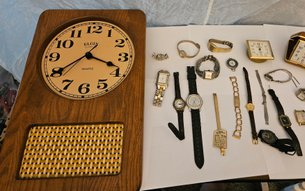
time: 3:39
